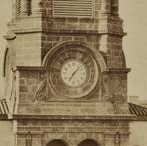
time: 7:07
